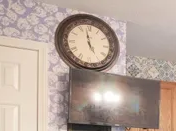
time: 4:58
